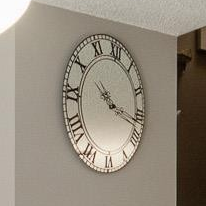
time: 10:17
